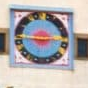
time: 2:44
